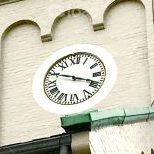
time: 3:48
